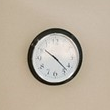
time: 10:22
